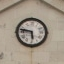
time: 5:47
